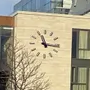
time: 11:16
